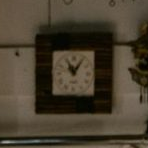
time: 11:05
